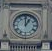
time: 1:00
